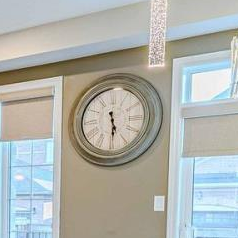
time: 5:29
